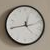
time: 11:44
